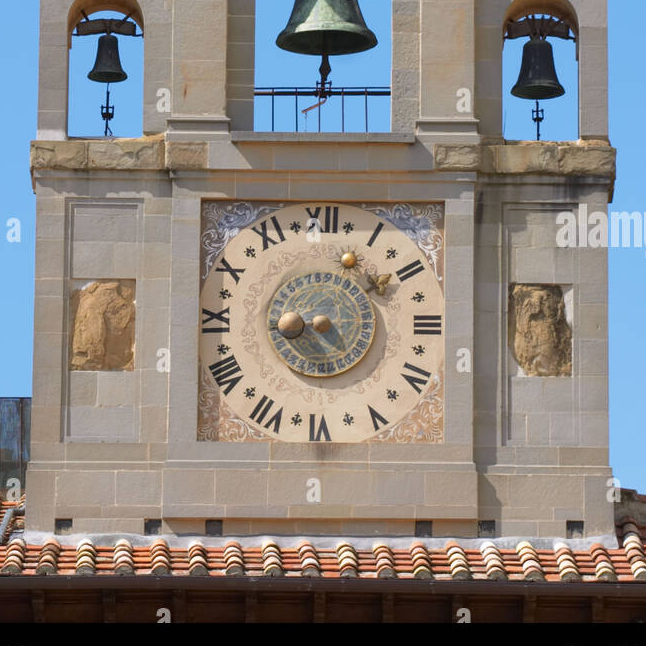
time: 4:42
